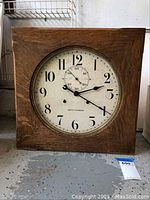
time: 2:19
